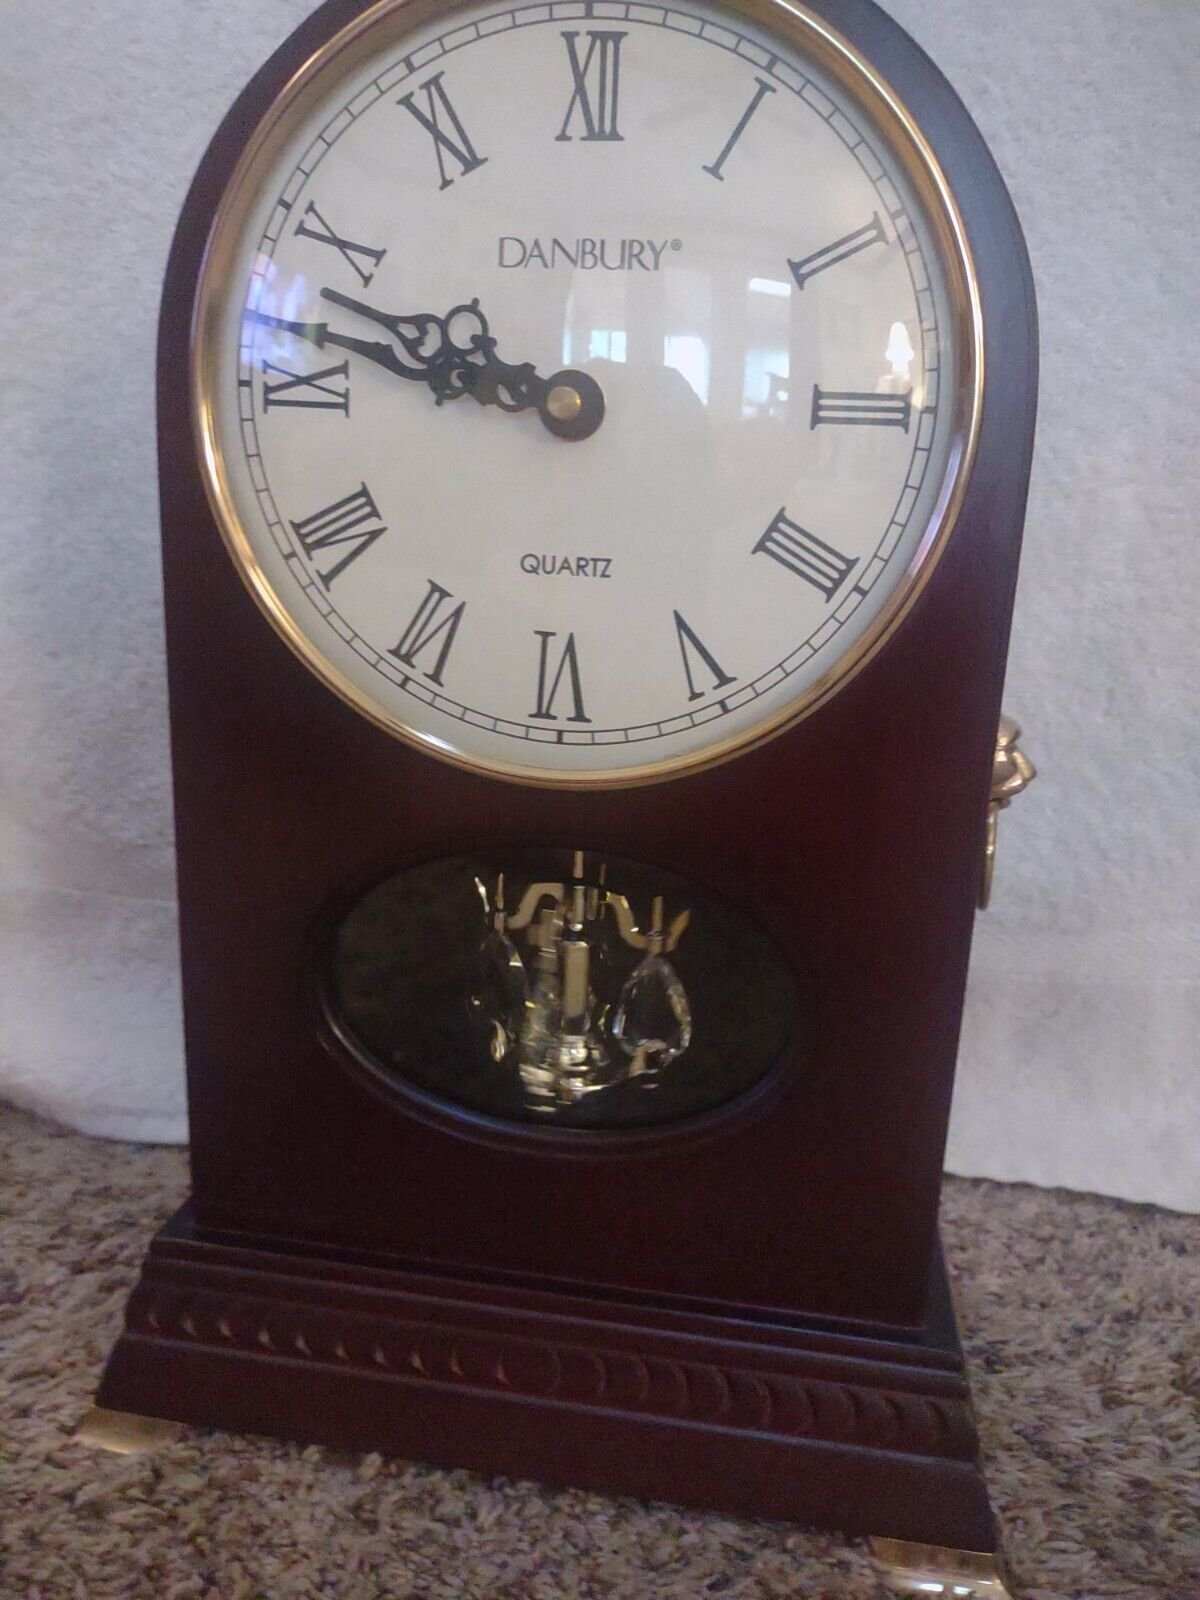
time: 9:47
